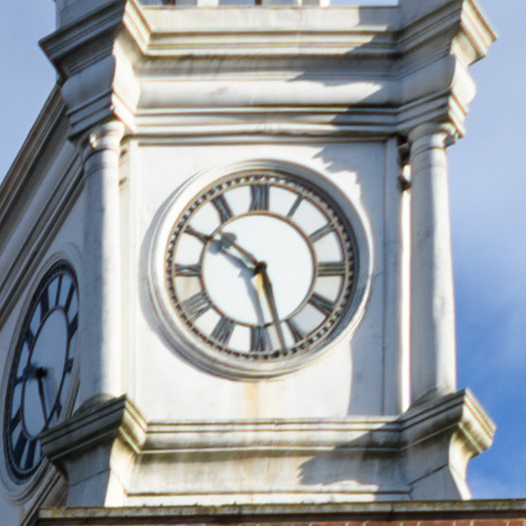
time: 10:26
